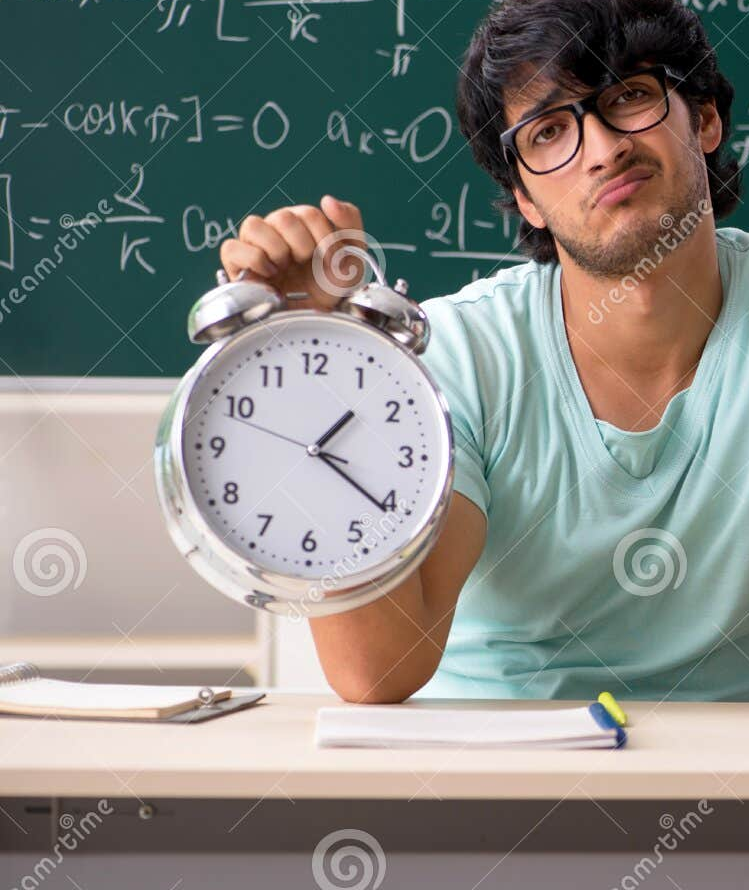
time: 1:21
